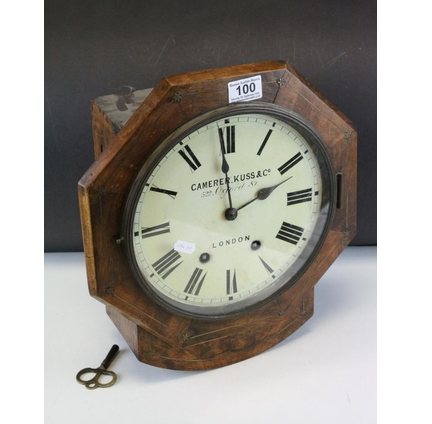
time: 1:59
